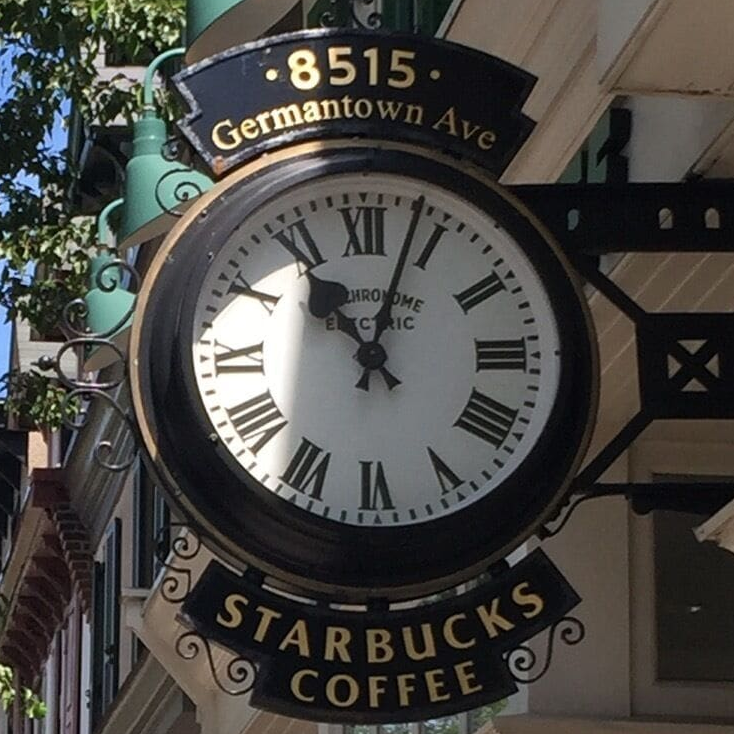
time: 11:03
